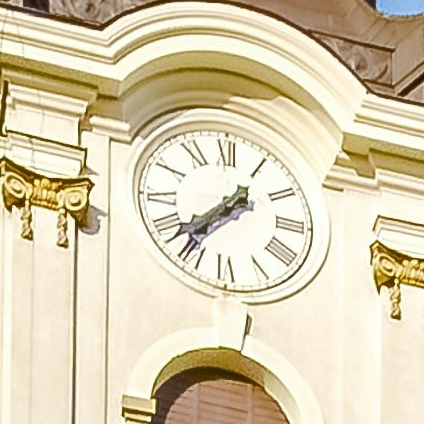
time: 7:36
